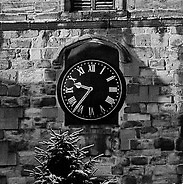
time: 9:36
